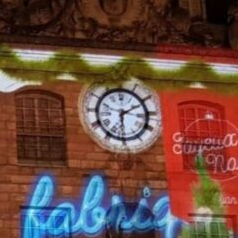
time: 6:10
